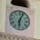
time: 6:03
